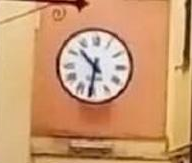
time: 10:31
